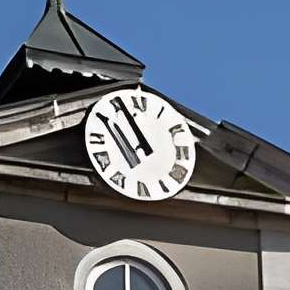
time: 10:55
